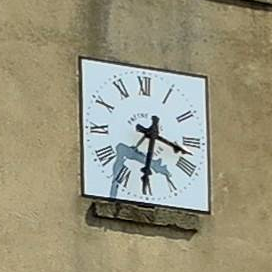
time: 3:31
